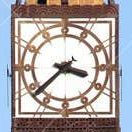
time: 3:38
